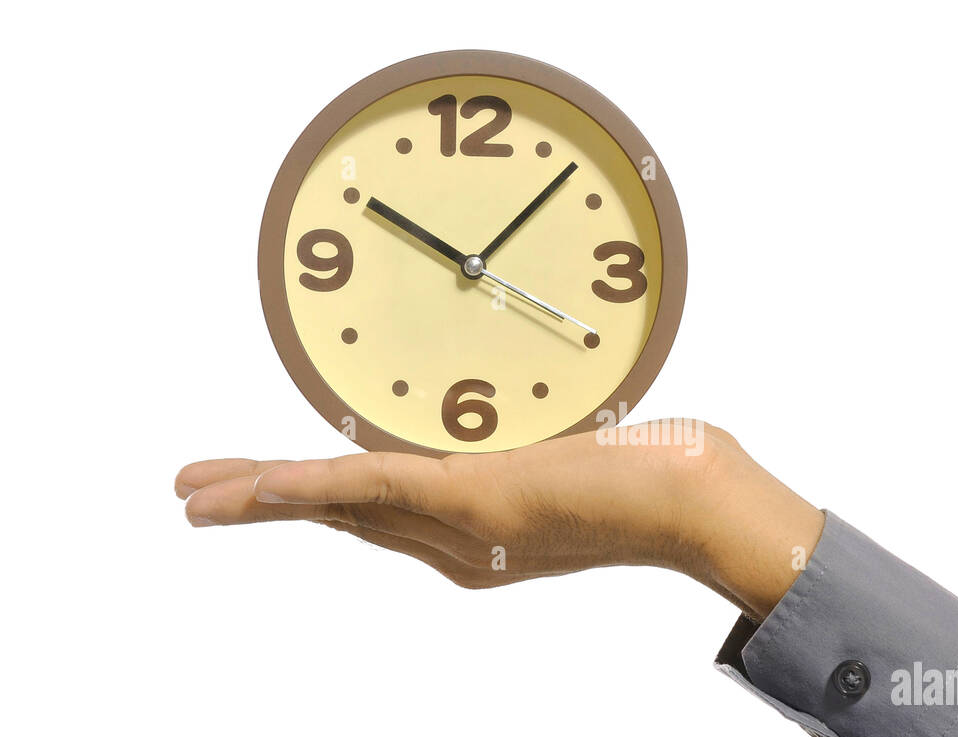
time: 10:07
